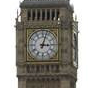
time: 3:02
